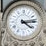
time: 4:13
